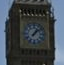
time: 1:08
